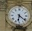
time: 6:21
